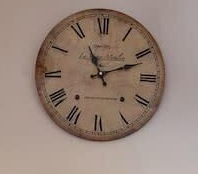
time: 11:11
